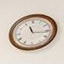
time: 11:16
